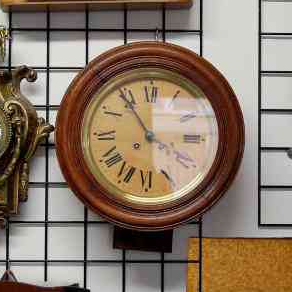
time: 2:54
